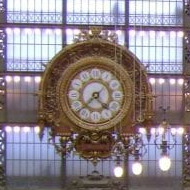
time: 4:37
